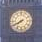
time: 7:40
